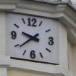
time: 9:38
